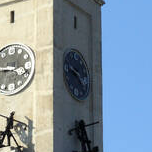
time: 9:22
